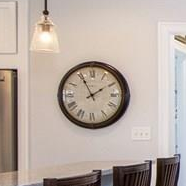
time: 1:55
